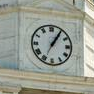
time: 1:05
